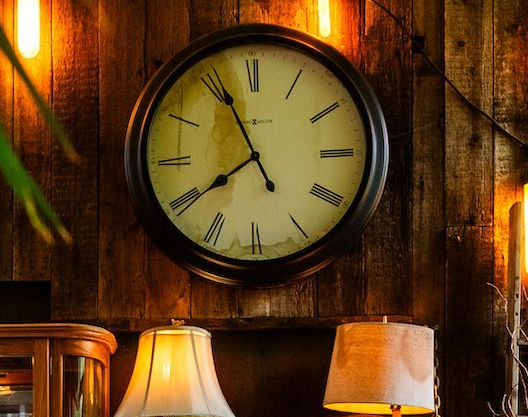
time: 7:55
